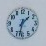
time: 1:32
